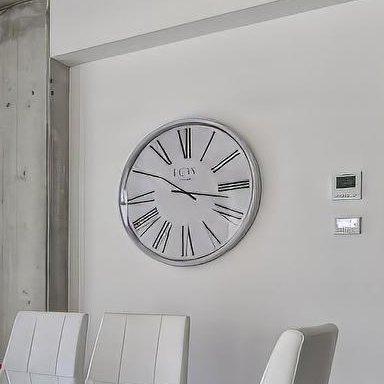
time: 10:16
